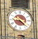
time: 8:22
